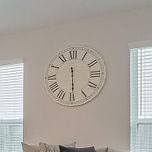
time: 11:29
